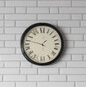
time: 1:47
